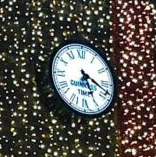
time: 5:18
